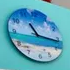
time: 11:16
